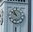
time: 10:51
